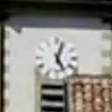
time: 5:03
